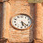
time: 5:21
